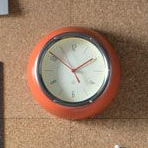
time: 1:51
